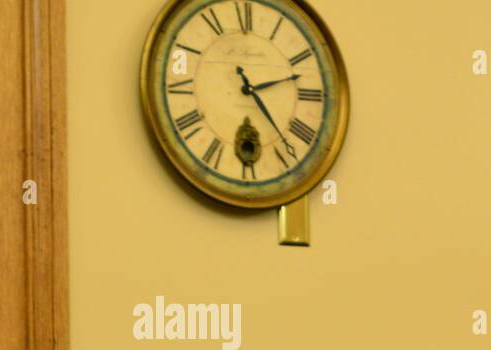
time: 2:23
